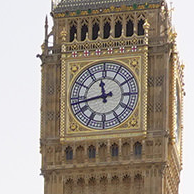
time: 11:42
